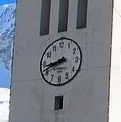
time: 8:41
